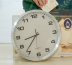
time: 8:36
